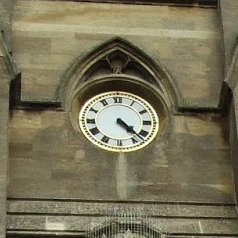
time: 4:22
